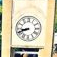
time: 8:41
